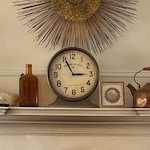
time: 2:55
